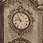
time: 10:46
